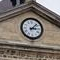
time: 3:07
